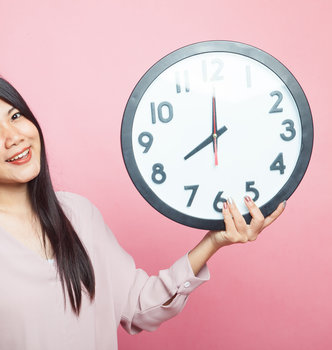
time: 8:00
